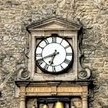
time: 6:41
